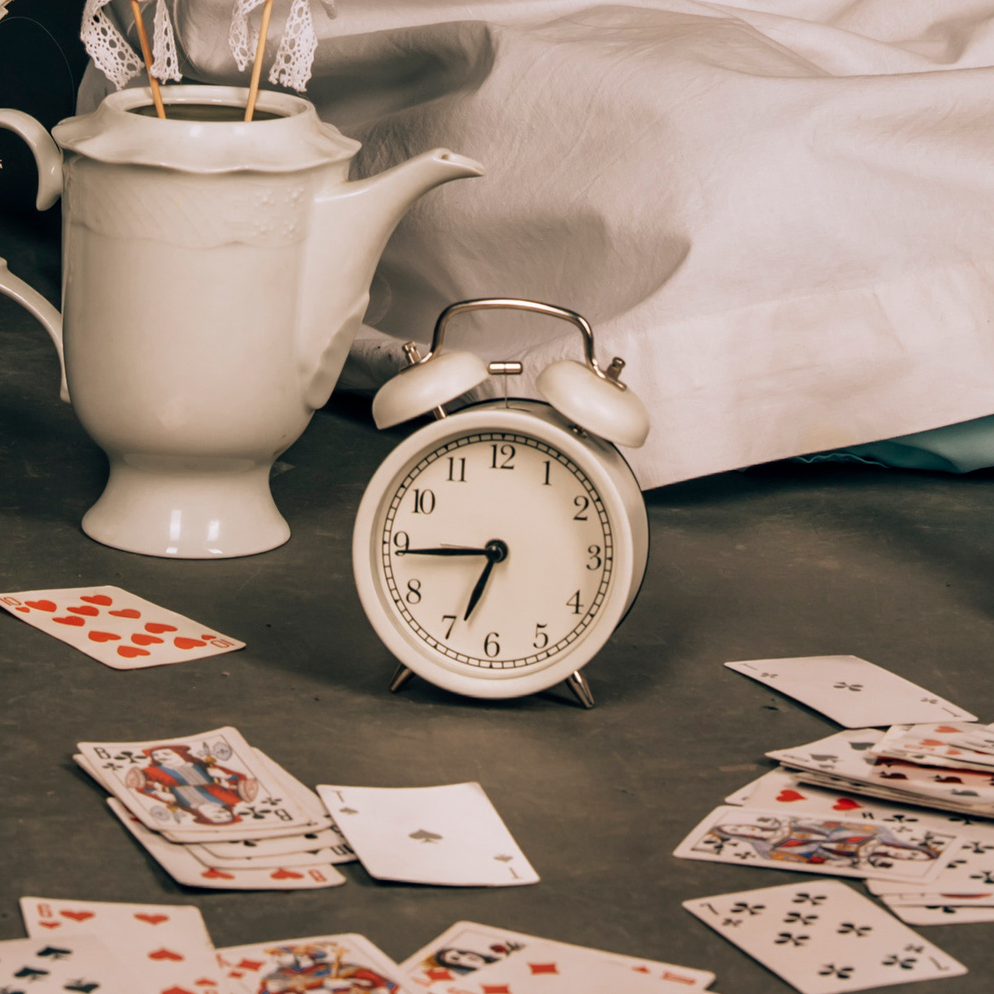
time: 6:44
